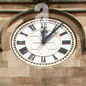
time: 12:06
